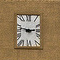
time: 2:46
